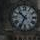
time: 10:34
